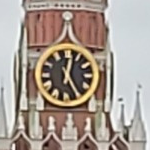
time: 12:24
